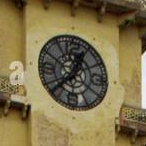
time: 12:37
